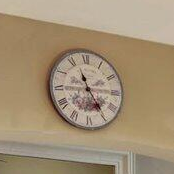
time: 11:24
